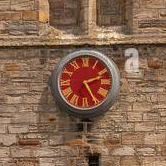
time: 2:25
